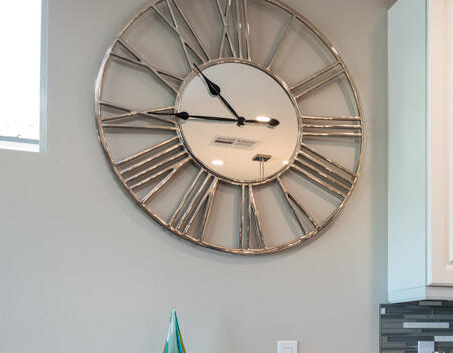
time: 10:45
